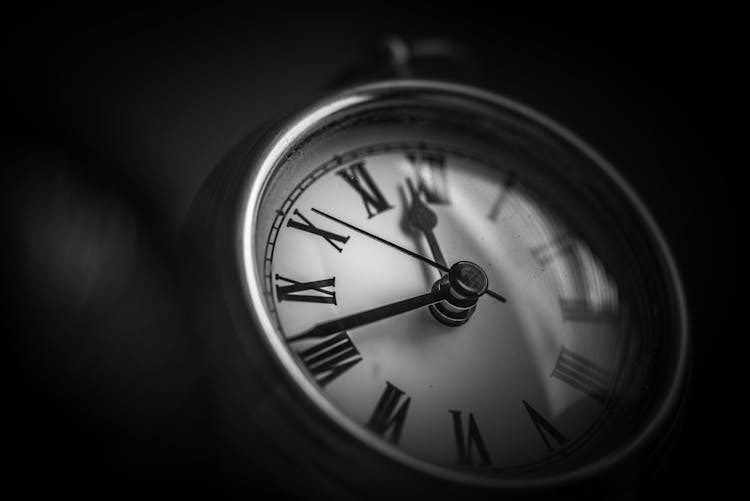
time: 11:41
